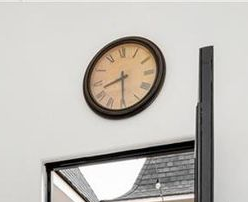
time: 8:29
